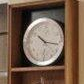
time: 10:16
